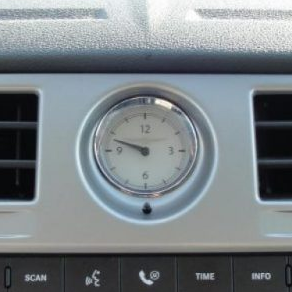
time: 9:48
